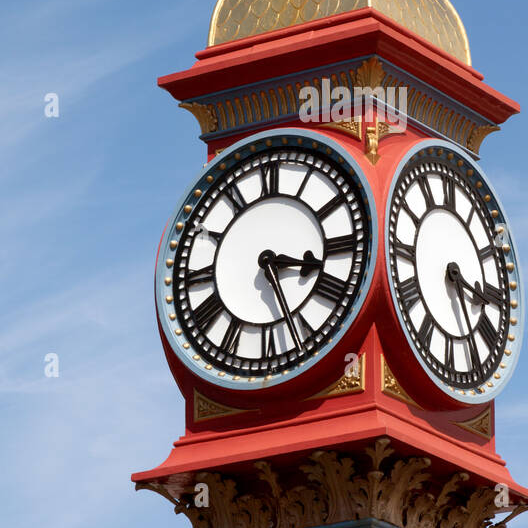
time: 3:26
